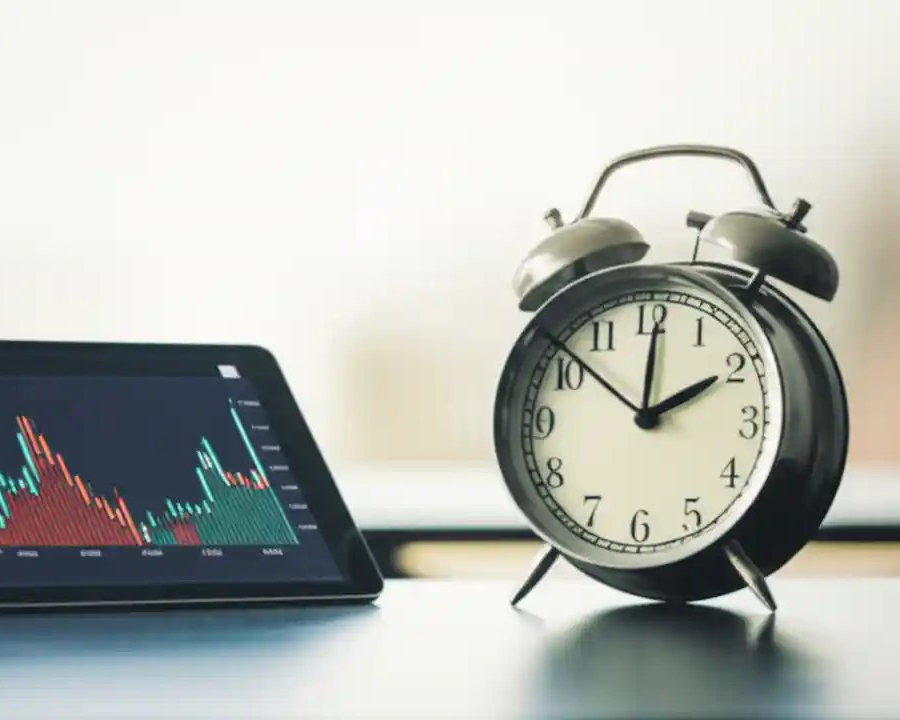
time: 2:00
